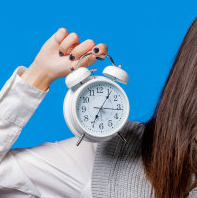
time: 7:06
